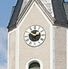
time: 2:48
